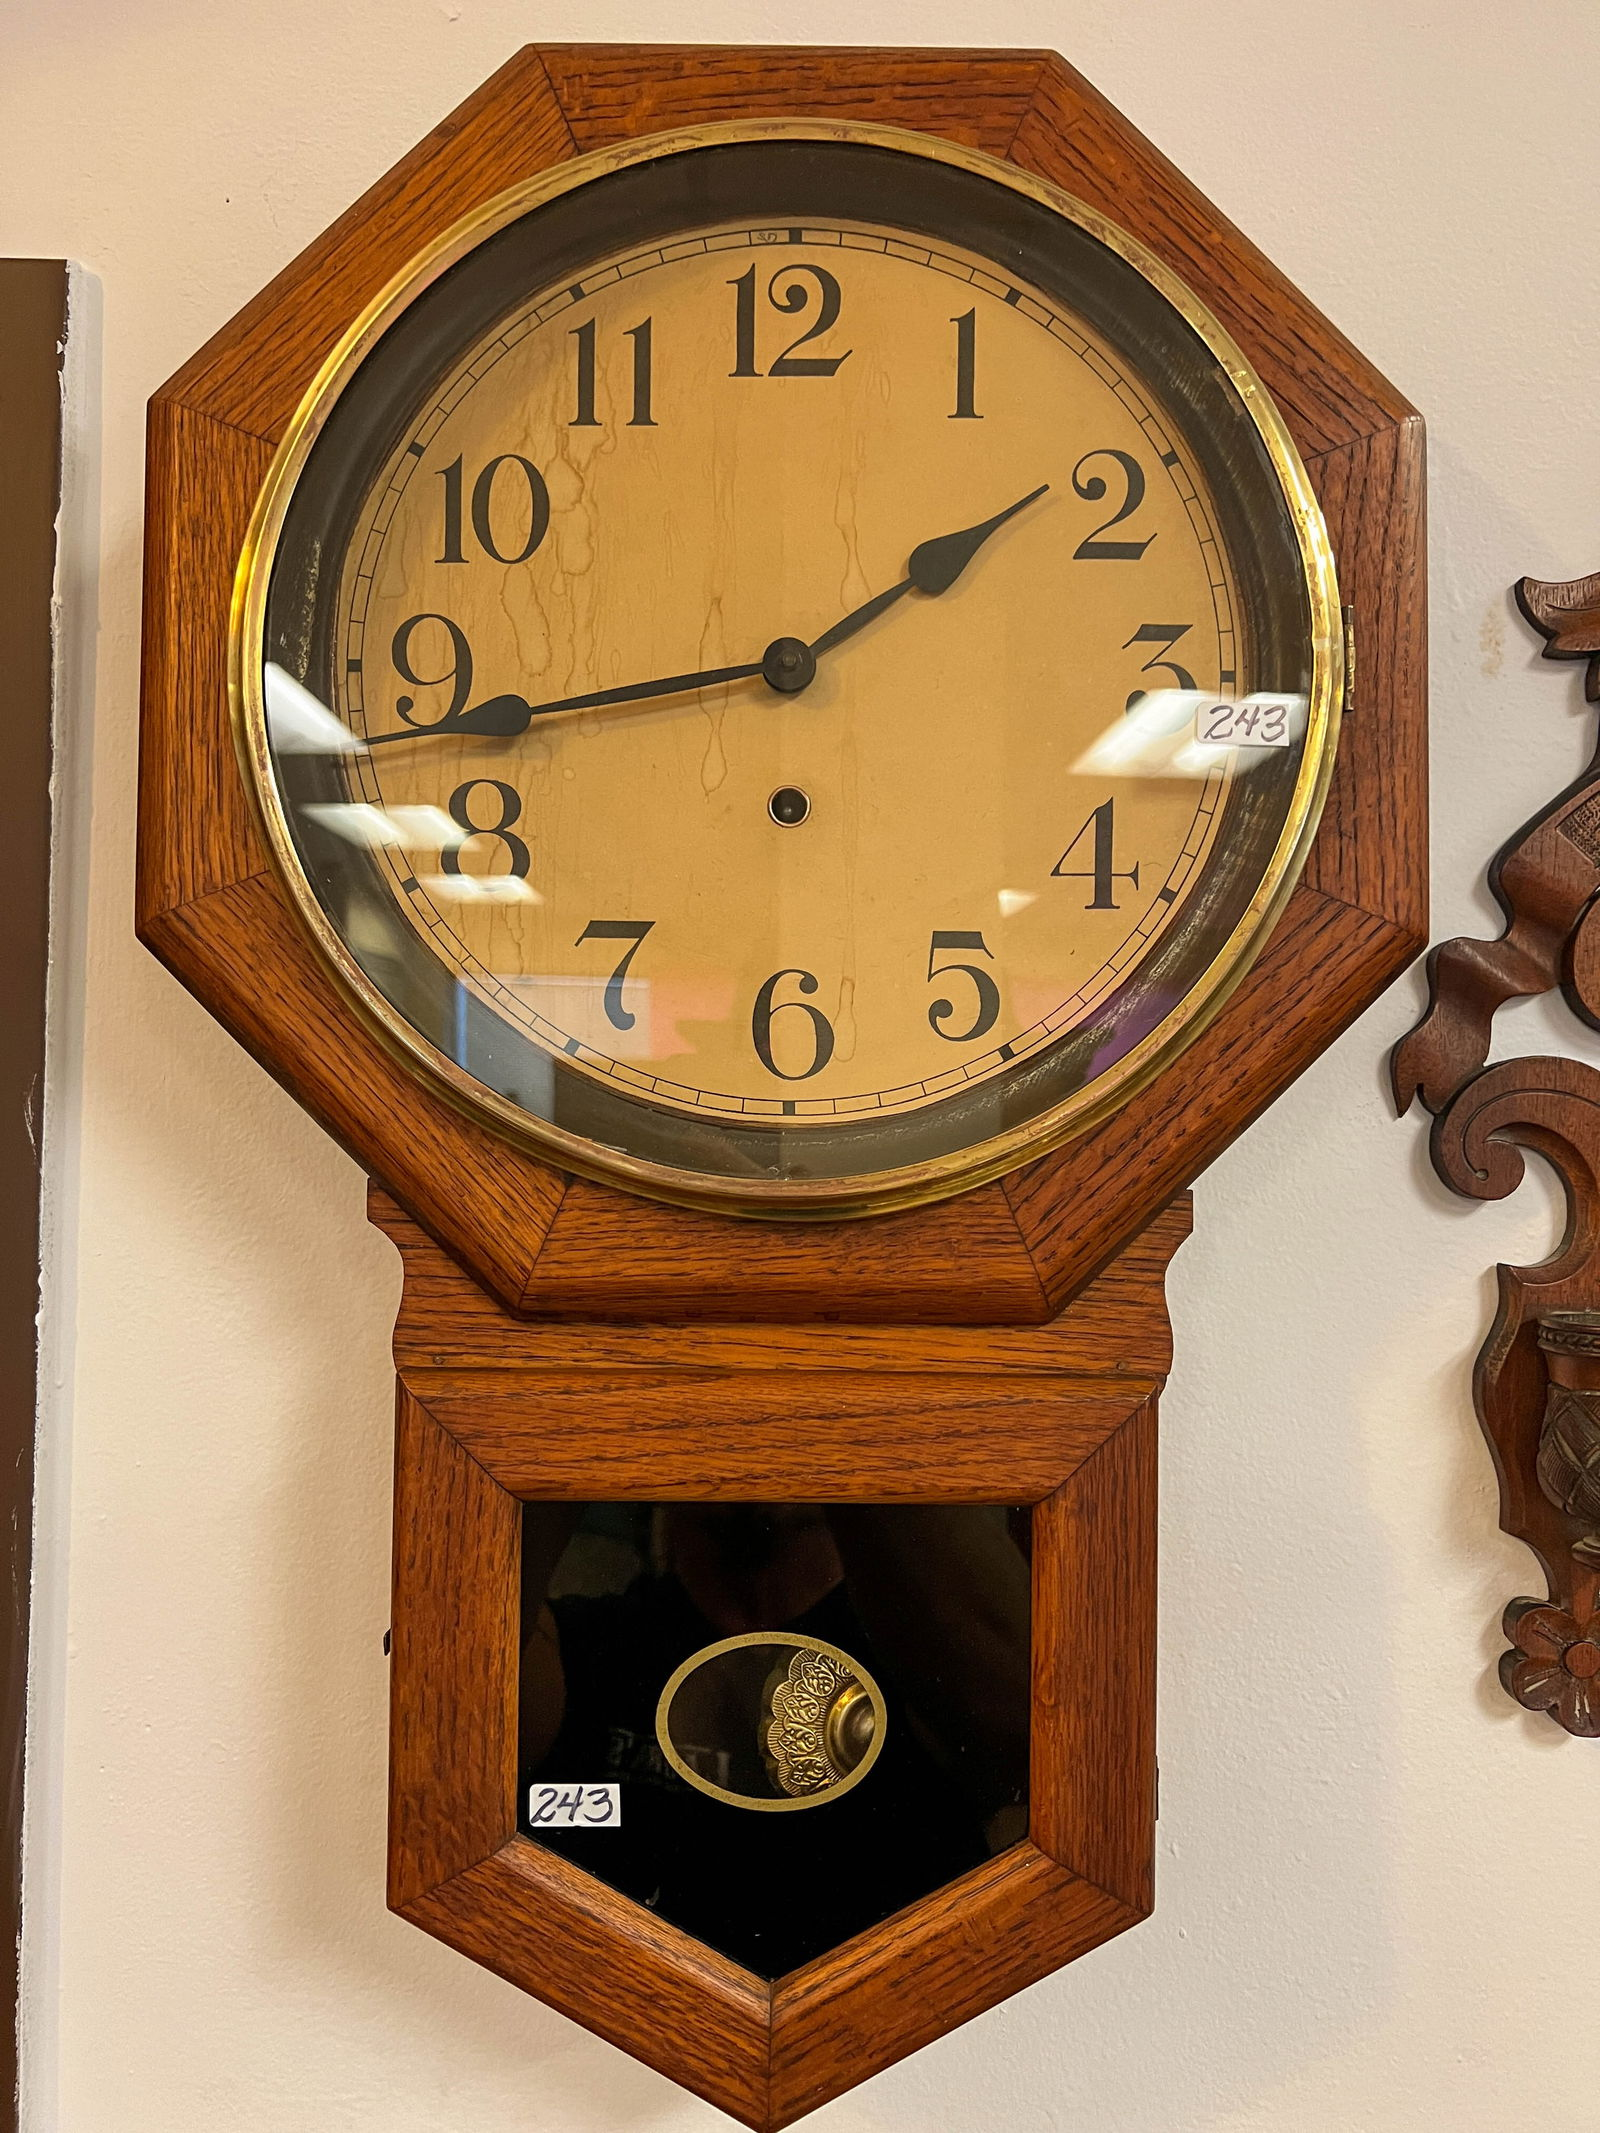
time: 1:43
